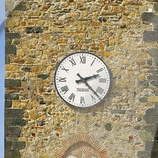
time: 2:22
